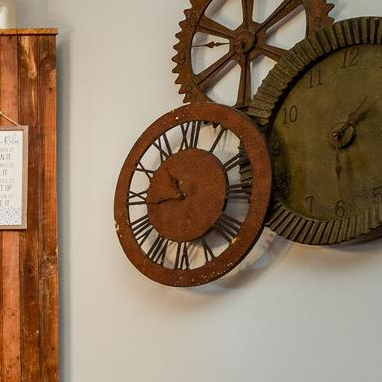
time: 10:43
